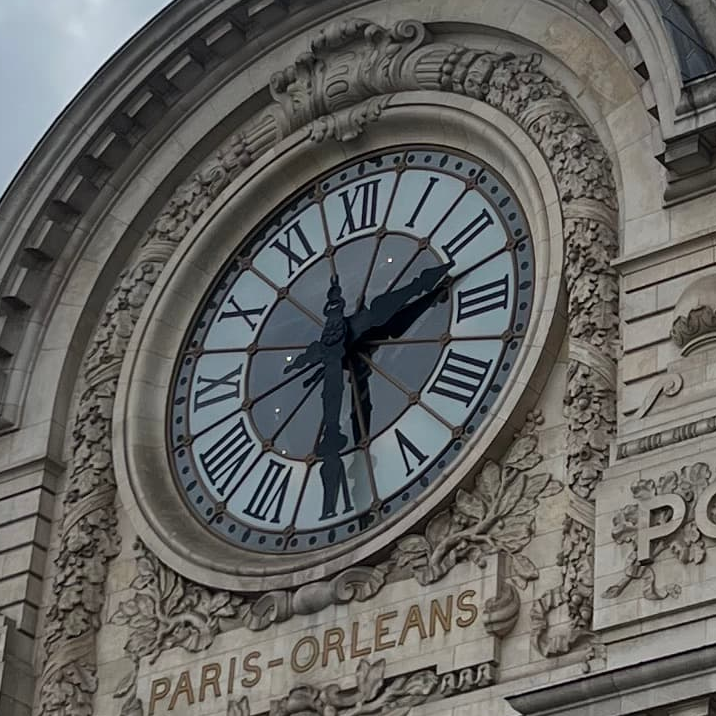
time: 2:29
